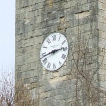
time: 2:43
